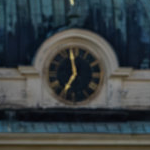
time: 6:58
